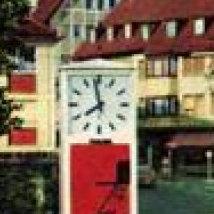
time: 7:58
